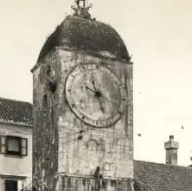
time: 5:18
